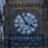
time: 3:55
